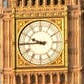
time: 9:44
